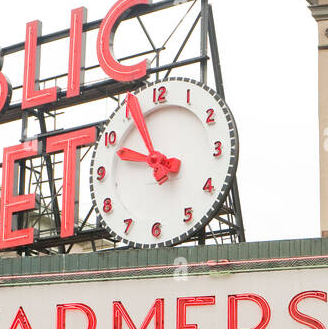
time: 9:55
